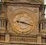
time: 9:18
